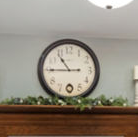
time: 10:45
